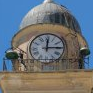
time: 12:14
